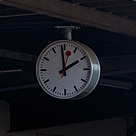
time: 1:59
